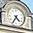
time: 4:35
